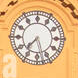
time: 7:27
